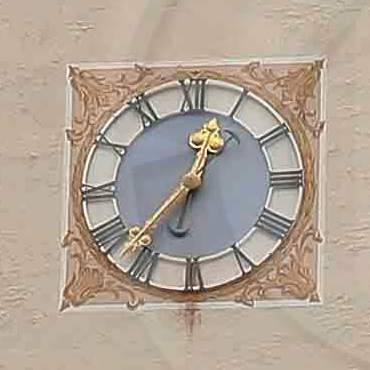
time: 12:37
